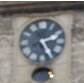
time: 2:24
